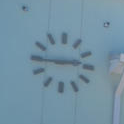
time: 2:45
